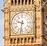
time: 9:32
